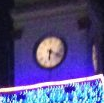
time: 6:18
